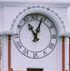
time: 11:03
